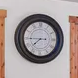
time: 7:44
